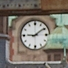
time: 9:09
